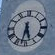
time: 5:31
